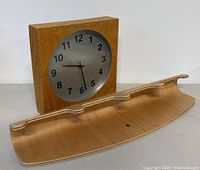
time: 9:28
